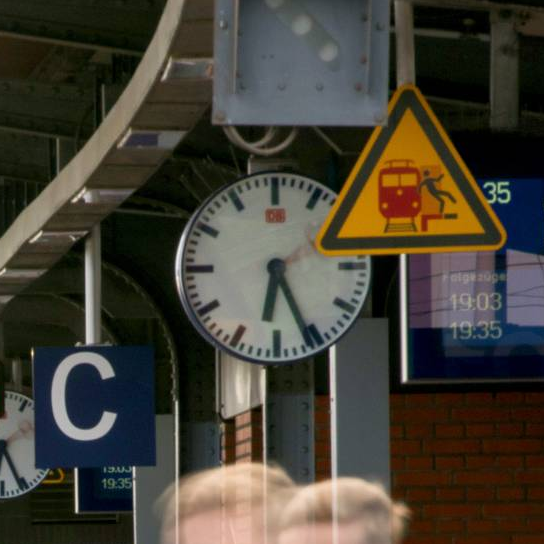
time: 6:25
